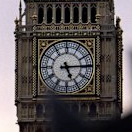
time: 5:14
